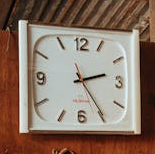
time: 2:24
